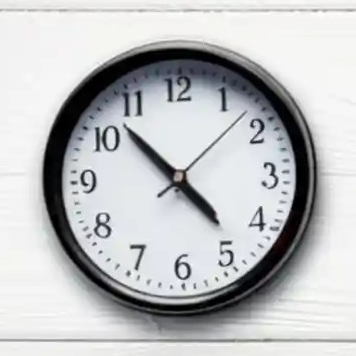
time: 4:52
